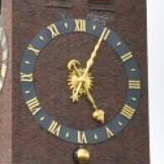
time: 5:04
